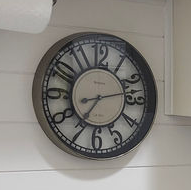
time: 7:12
